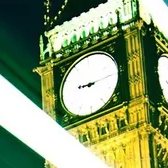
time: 9:15
